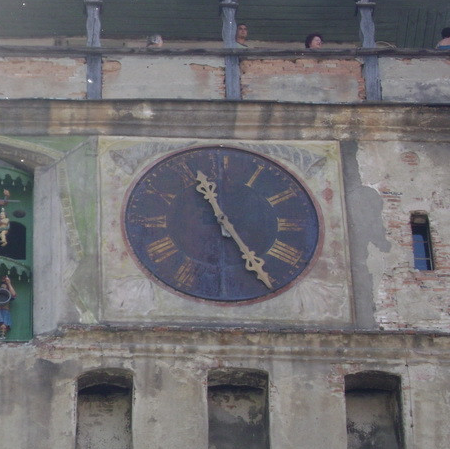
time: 11:24
